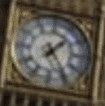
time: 1:24
